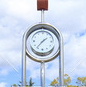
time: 1:36
